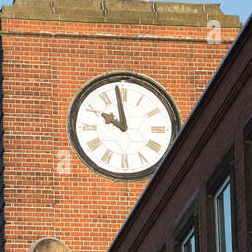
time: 9:58
